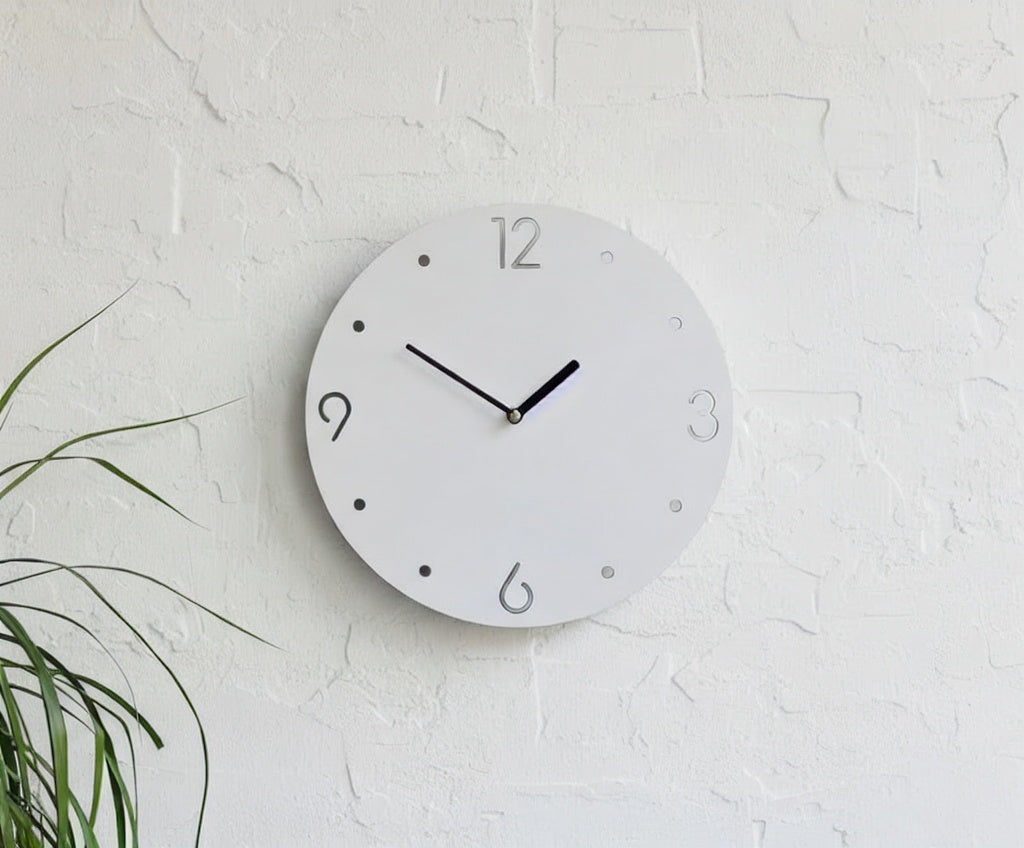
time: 1:50
